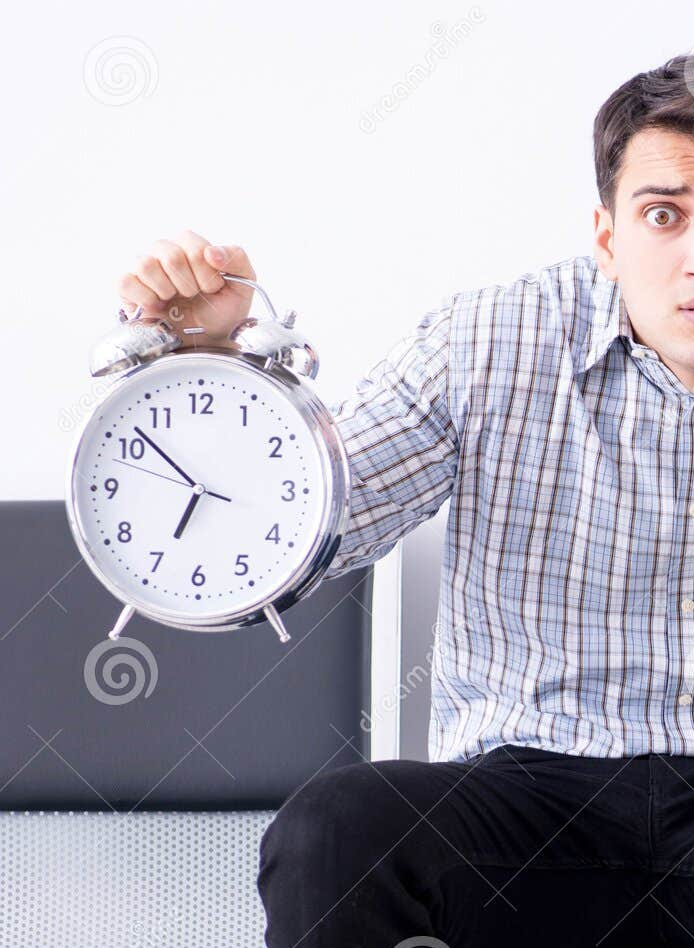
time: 6:52
